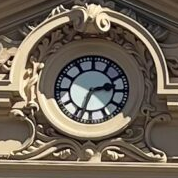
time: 2:33
